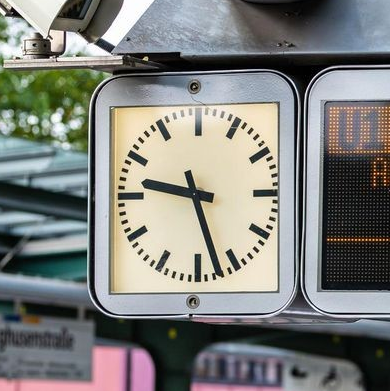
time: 9:27
